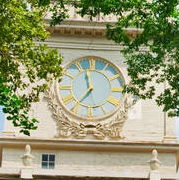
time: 6:58
